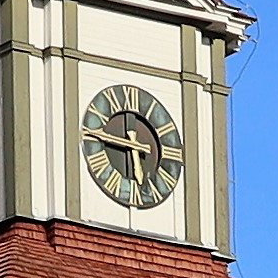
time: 5:45
